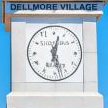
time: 12:27
